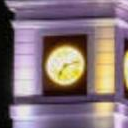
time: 7:12
